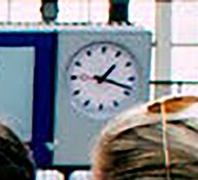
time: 1:18
